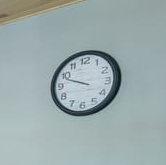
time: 9:48
